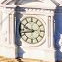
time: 9:42
